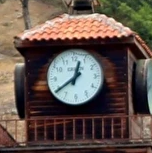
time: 12:39
